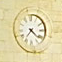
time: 7:21
